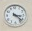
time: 3:22
